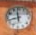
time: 11:42
